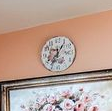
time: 12:05
